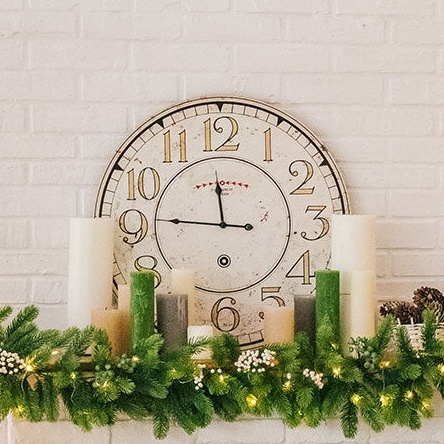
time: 11:46
